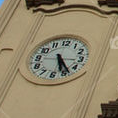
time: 5:23
